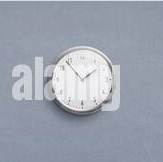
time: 1:53
